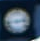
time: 2:43
